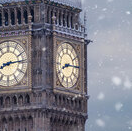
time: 8:14
